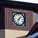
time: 1:32
